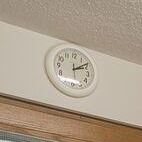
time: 2:08
